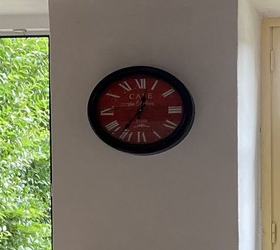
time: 12:36
